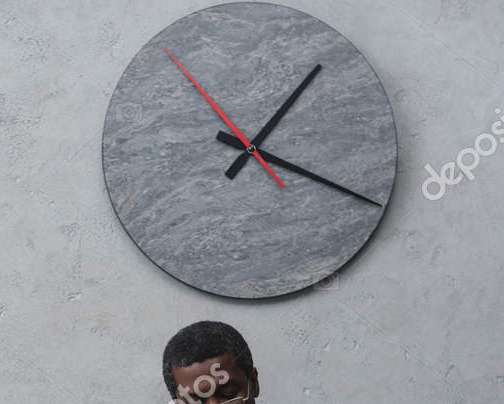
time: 1:18
